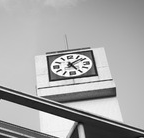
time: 5:08
